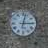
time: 3:02
